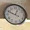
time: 12:49
